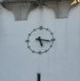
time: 5:16
